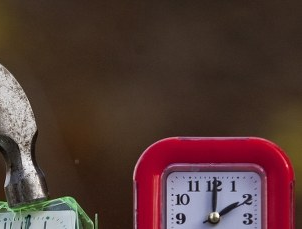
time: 2:00
